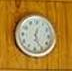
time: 12:25
